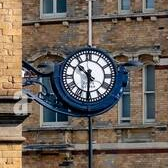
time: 10:30
